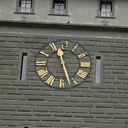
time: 11:26
